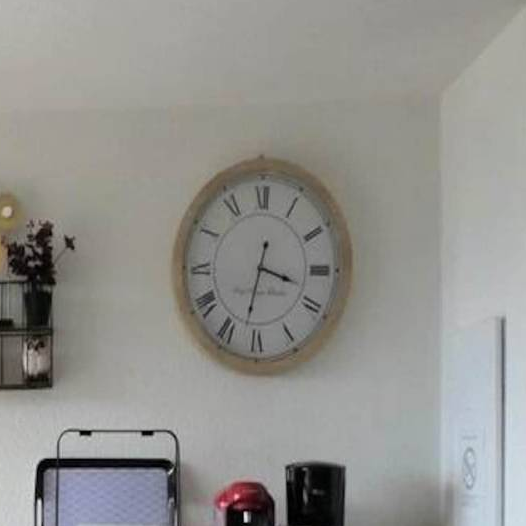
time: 3:32
